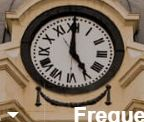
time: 4:59
